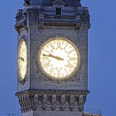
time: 9:47
